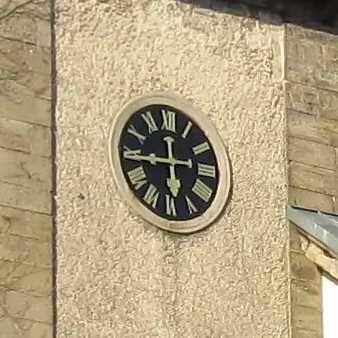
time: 5:44
